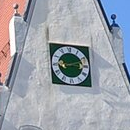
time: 9:12
